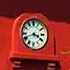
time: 3:41
